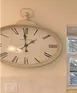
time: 1:59
